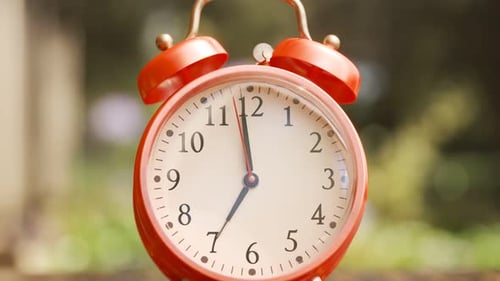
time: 6:58
